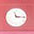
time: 11:14
